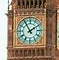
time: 1:54
